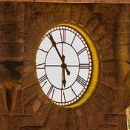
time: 5:54
